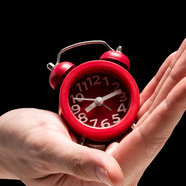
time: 8:12
